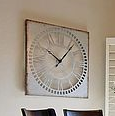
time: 10:06
